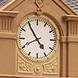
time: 4:54
